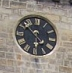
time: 5:51
